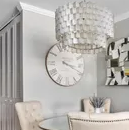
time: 3:19
